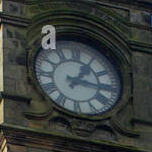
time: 1:16
